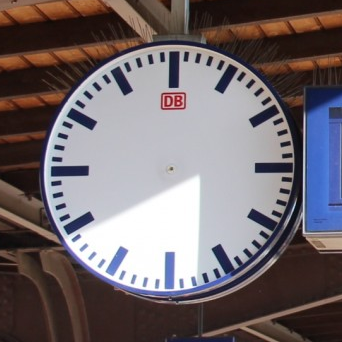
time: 5:40
